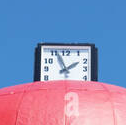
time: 1:56
